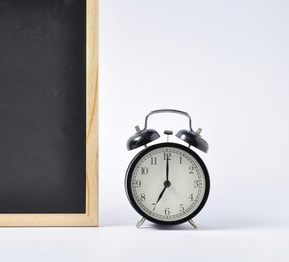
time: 7:00
